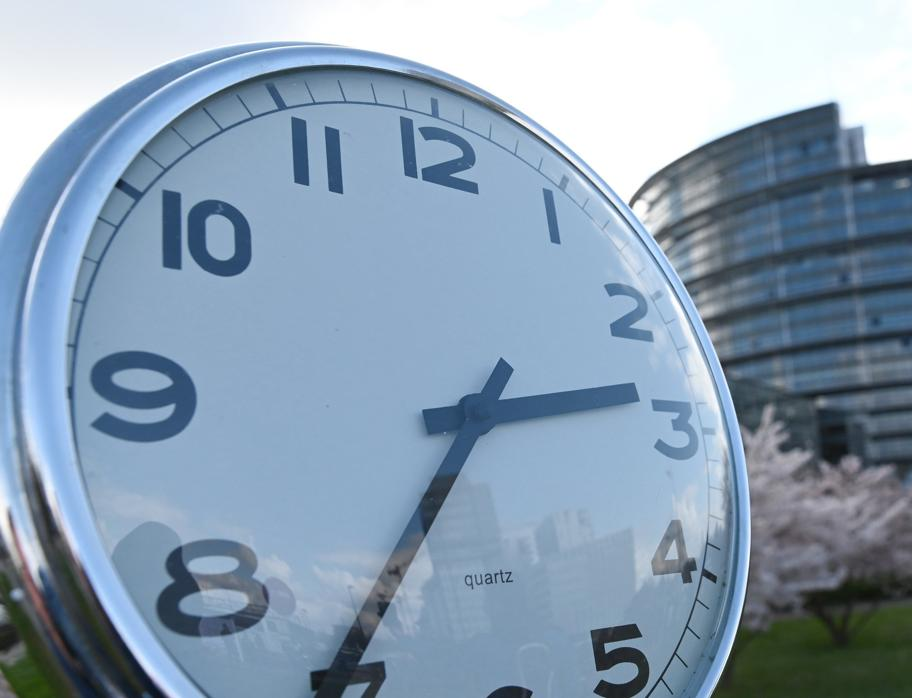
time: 2:36
